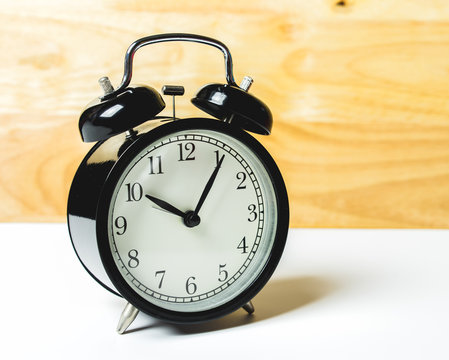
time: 10:05
